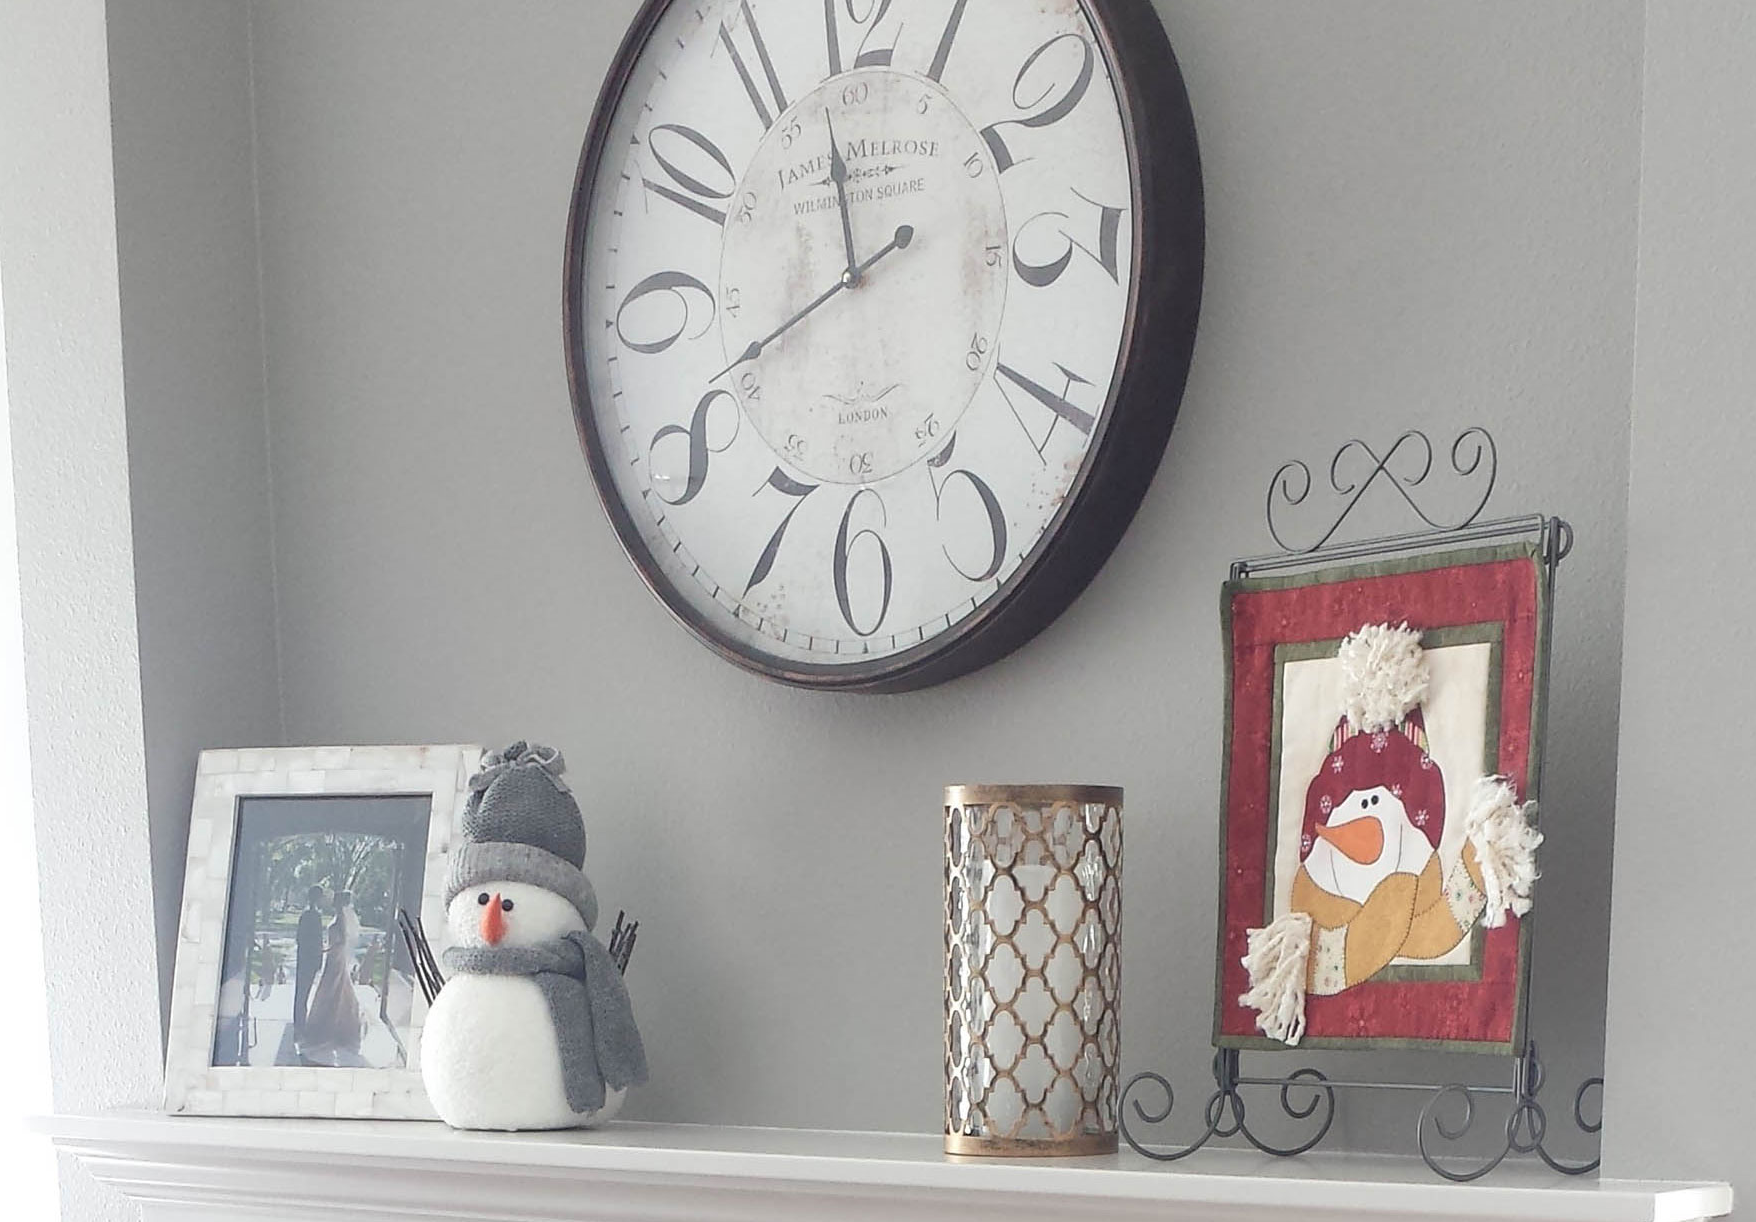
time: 11:41
